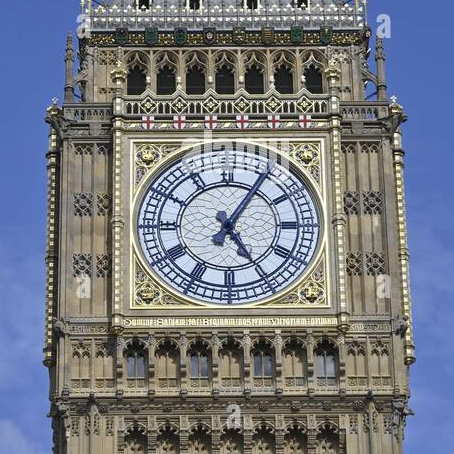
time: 5:05
